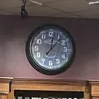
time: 12:06
